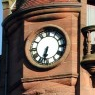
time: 6:32
